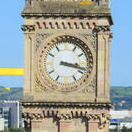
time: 3:17
